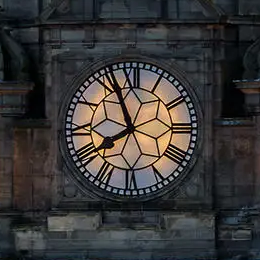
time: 7:56
